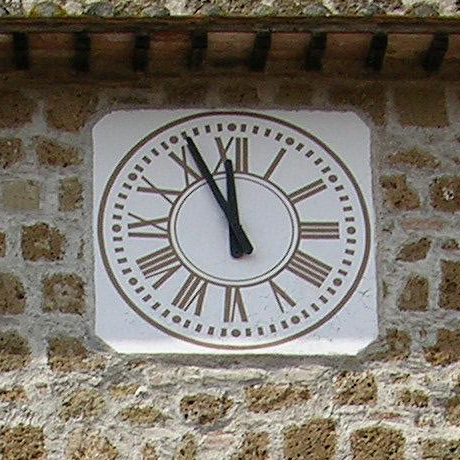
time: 11:55
